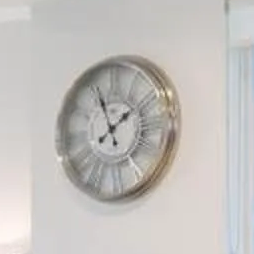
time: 1:56
